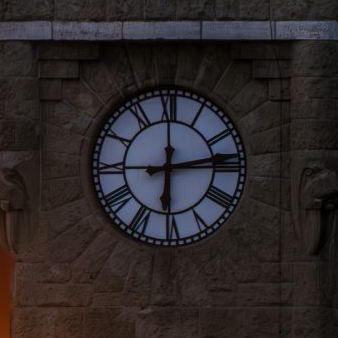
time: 6:13
